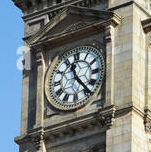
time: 11:23
